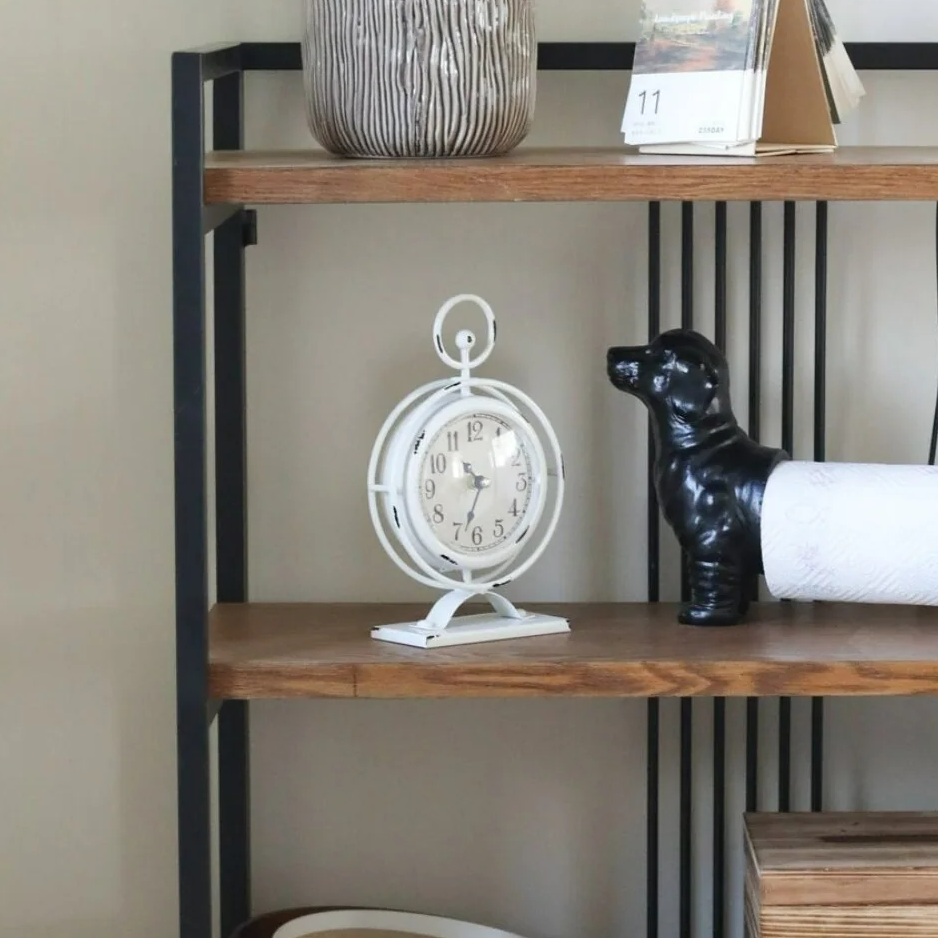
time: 10:33
